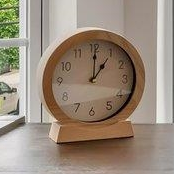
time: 1:00
